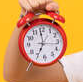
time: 6:59
